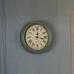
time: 12:17
